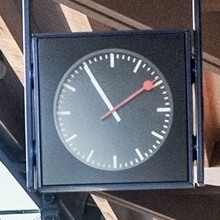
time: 1:54
